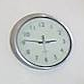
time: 2:46
